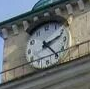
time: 2:24
